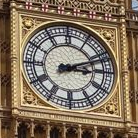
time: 3:11
